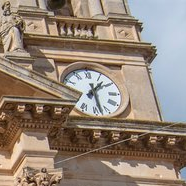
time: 1:28
